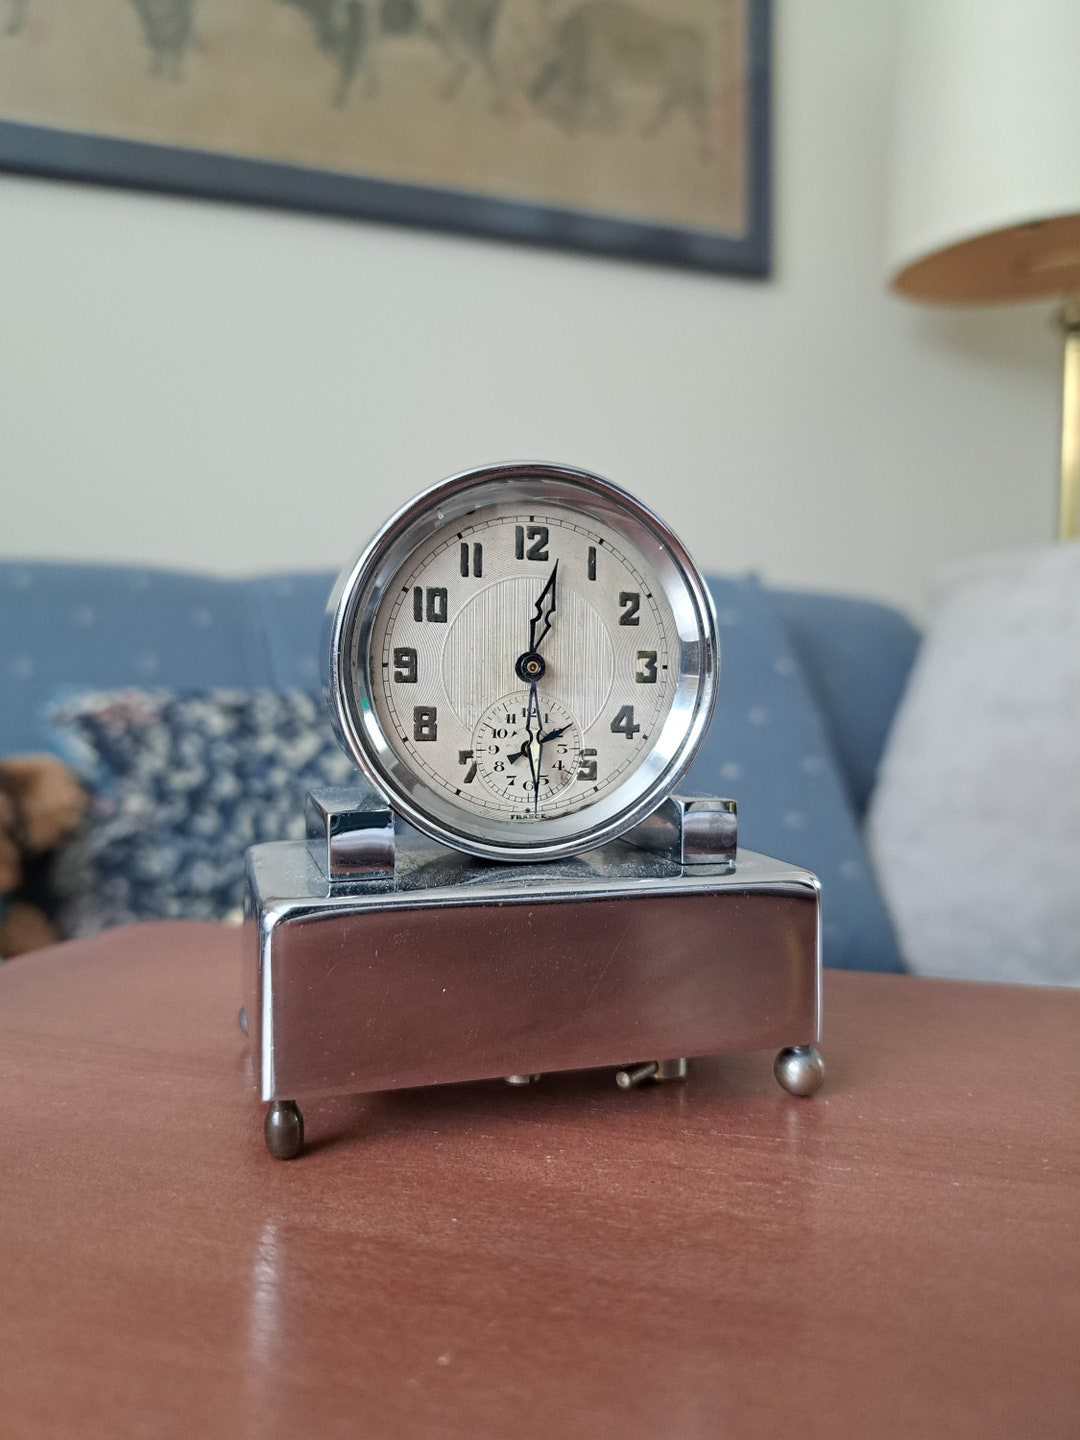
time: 6:01
